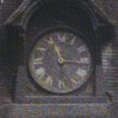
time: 11:15
